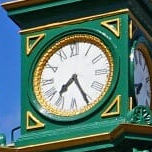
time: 7:25
